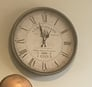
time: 12:57
